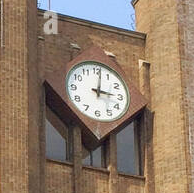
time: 3:01
